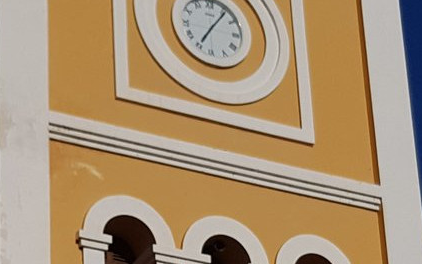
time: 7:06
